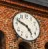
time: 4:48
